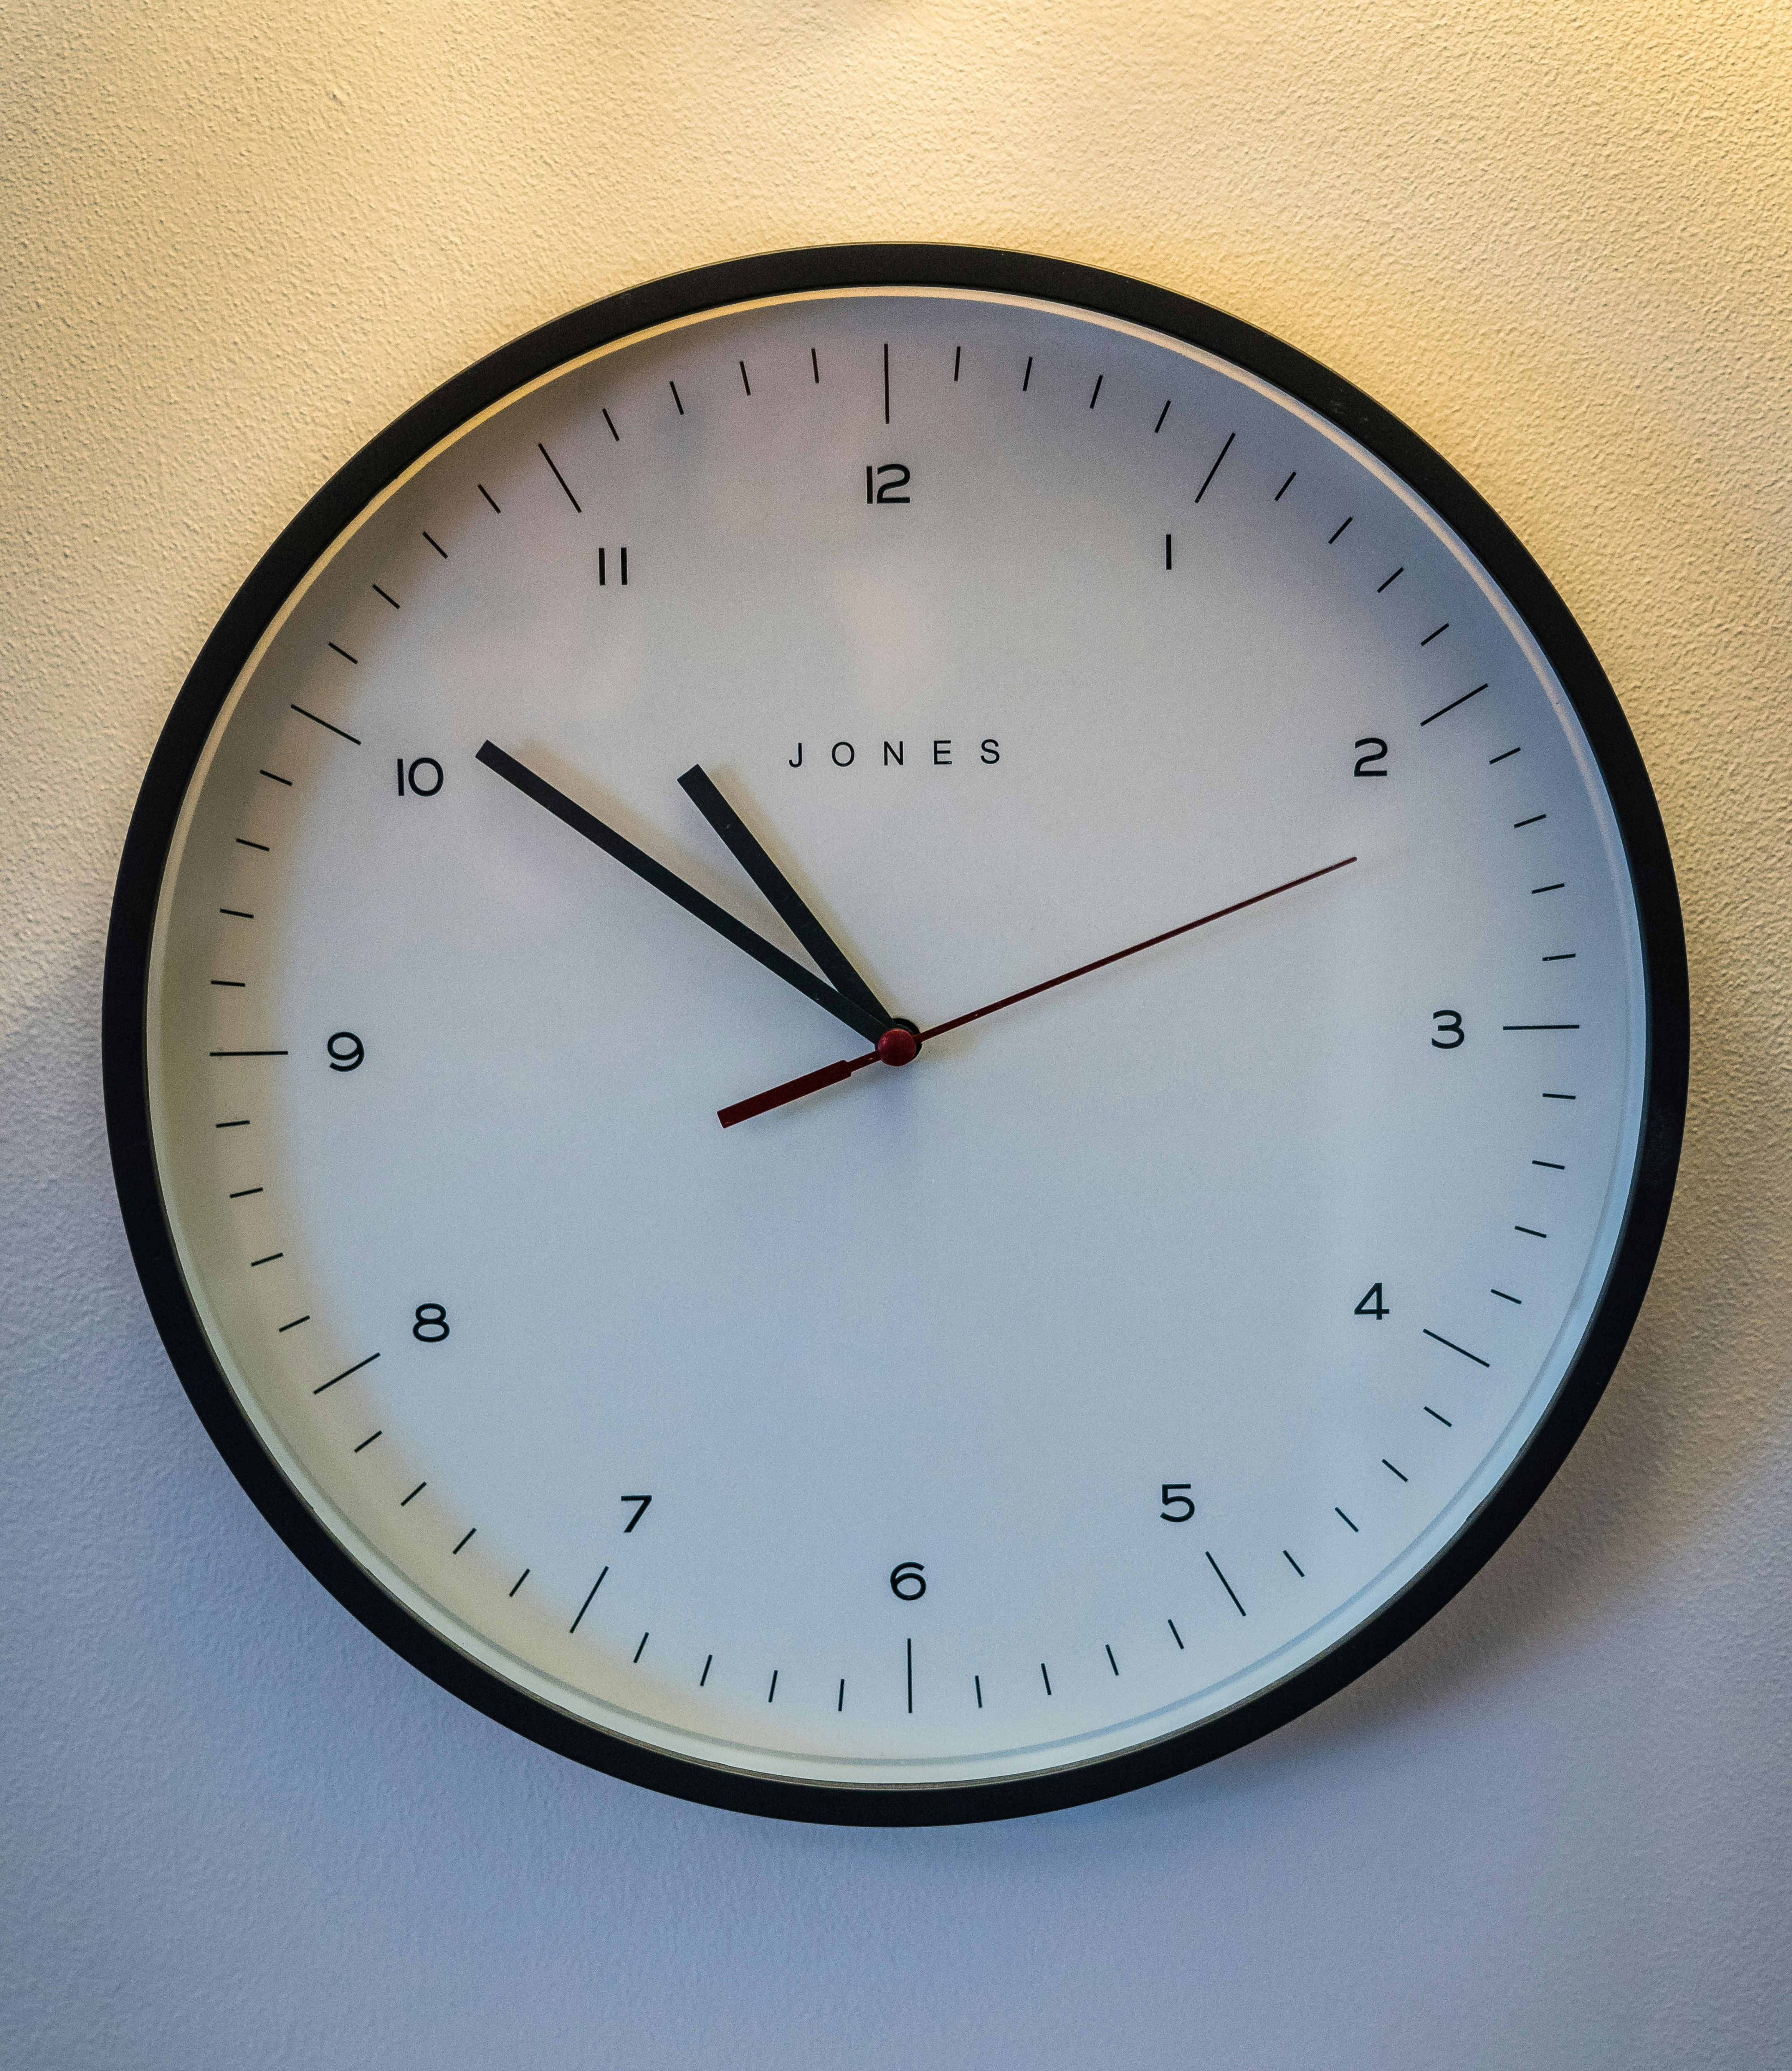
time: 10:50
